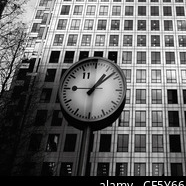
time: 1:08
